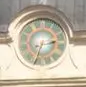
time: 2:33
